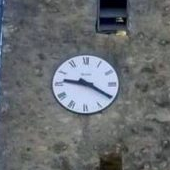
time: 9:20
